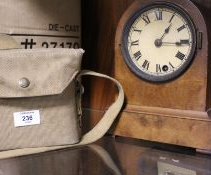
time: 1:15
